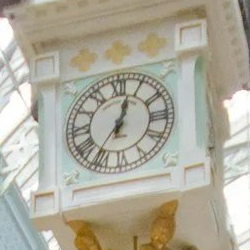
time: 12:36
